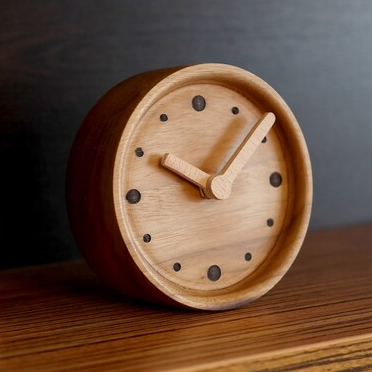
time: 10:07
